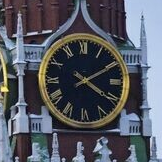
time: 4:10
